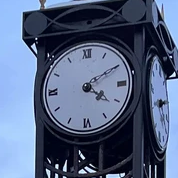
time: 4:09
